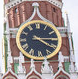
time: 4:14
